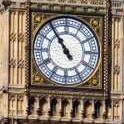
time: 10:54
